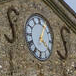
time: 4:04
